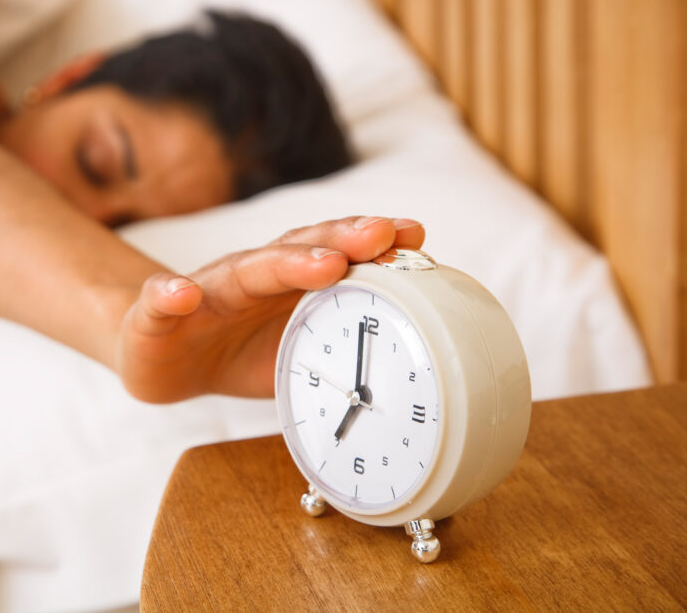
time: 6:58
